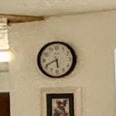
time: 5:40
